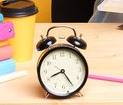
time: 8:25
